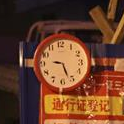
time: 9:26
